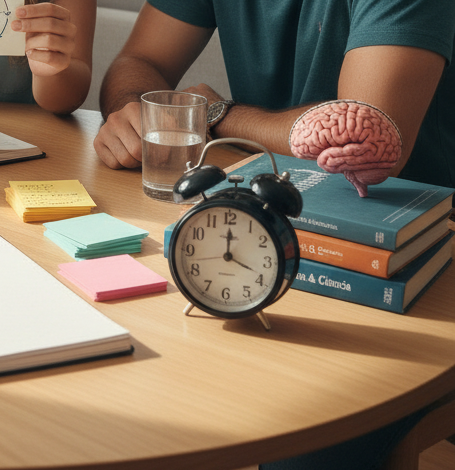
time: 12:19
